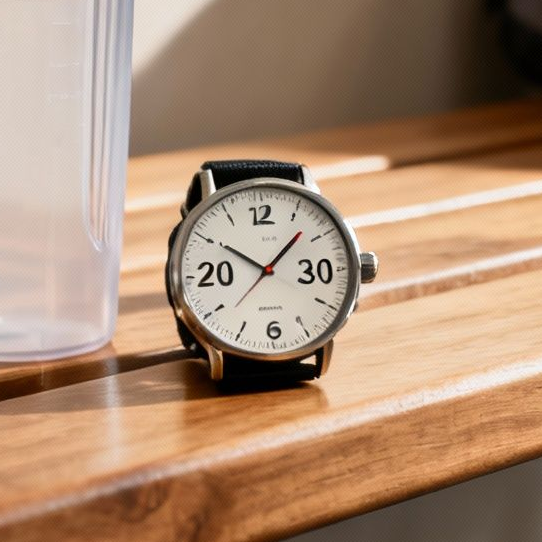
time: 10:07
